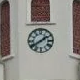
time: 1:39
